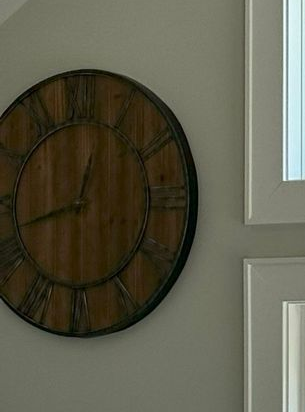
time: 12:42
